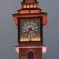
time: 7:18
